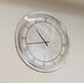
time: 10:42
